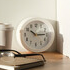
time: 10:14
